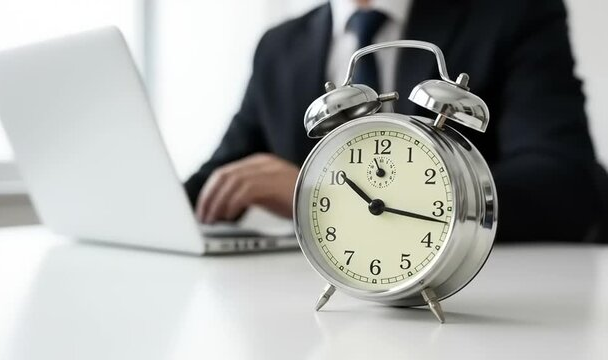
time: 10:16
